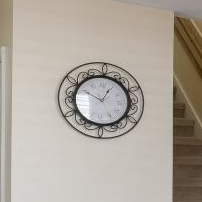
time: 12:49
